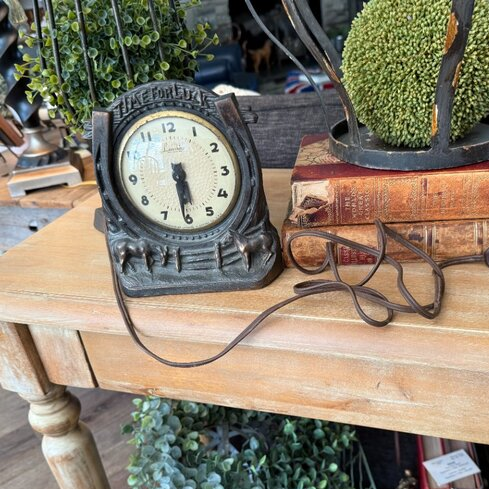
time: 5:30
